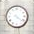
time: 4:21
